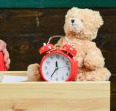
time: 11:35
